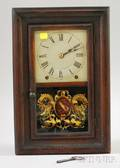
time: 2:09
